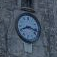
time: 8:17
